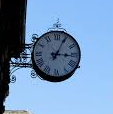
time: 3:04
